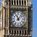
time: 11:07
